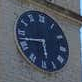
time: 5:43
